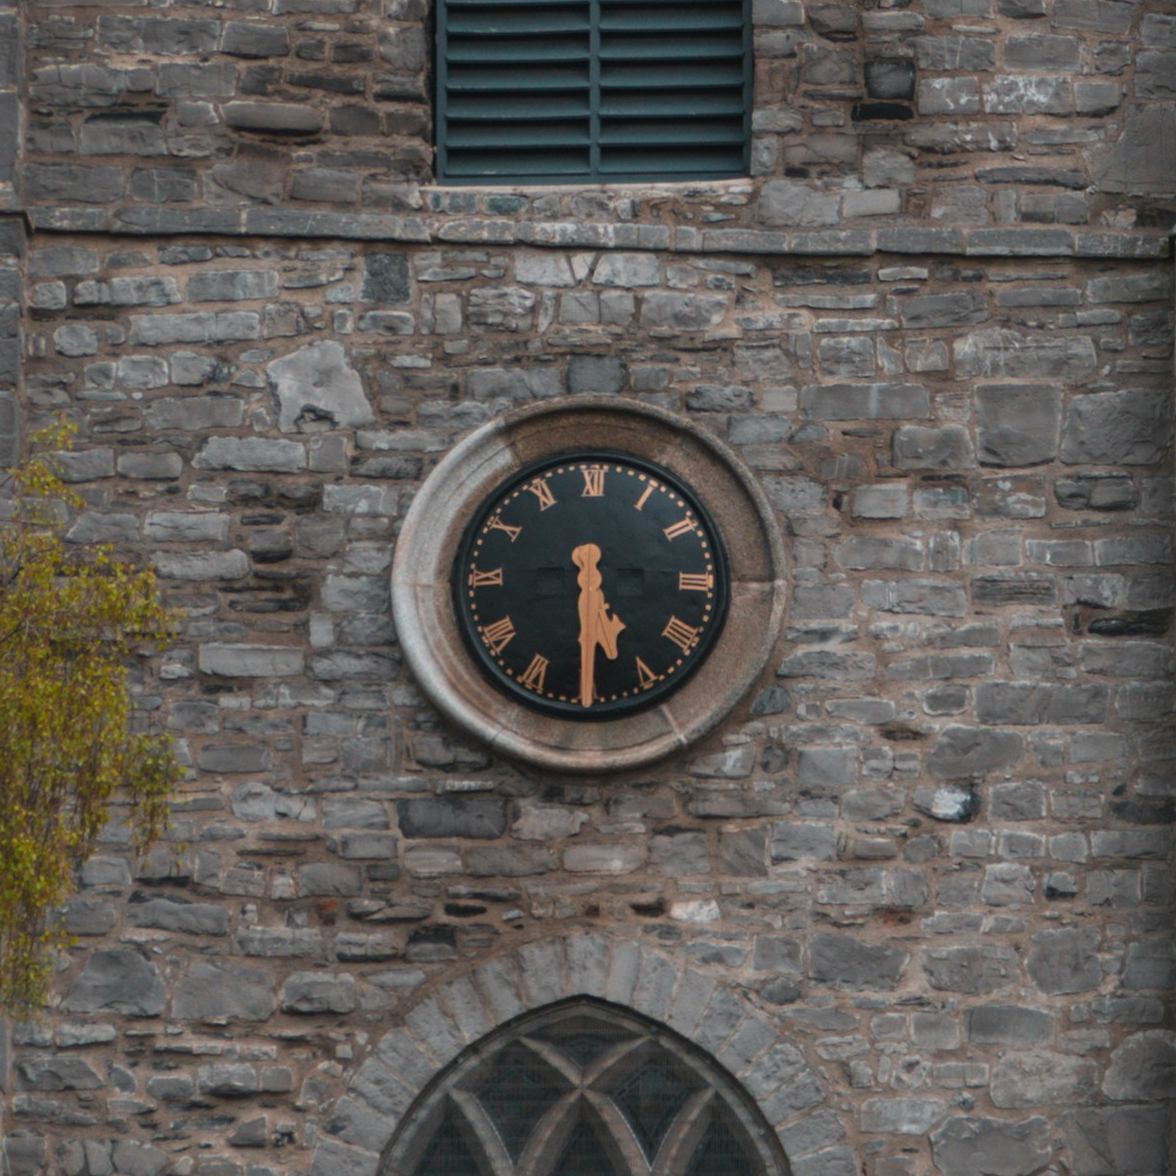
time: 5:30
